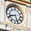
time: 8:26
